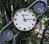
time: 11:13
